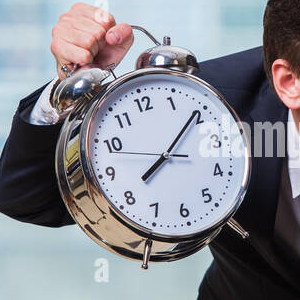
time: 8:09
